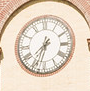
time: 7:33
